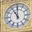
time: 11:00
